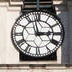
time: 2:58
